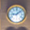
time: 9:08
